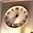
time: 7:00
